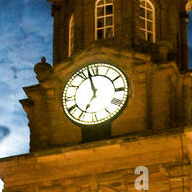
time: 6:57
